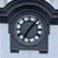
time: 7:07
